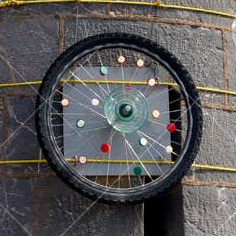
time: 6:56
